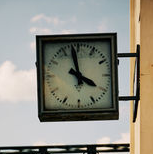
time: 3:58
